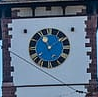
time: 11:08
